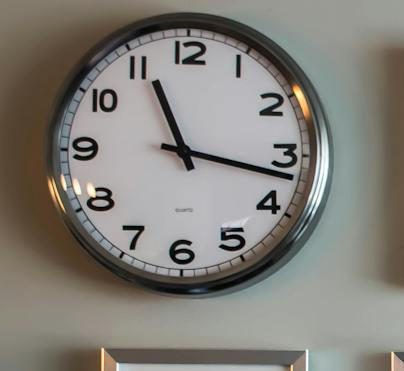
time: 11:16
